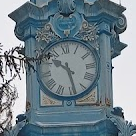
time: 10:28
